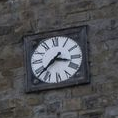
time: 3:37
